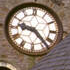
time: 9:23
